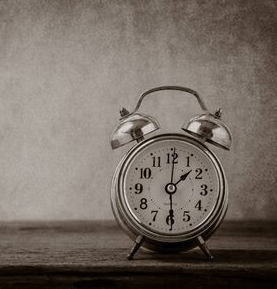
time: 1:29
